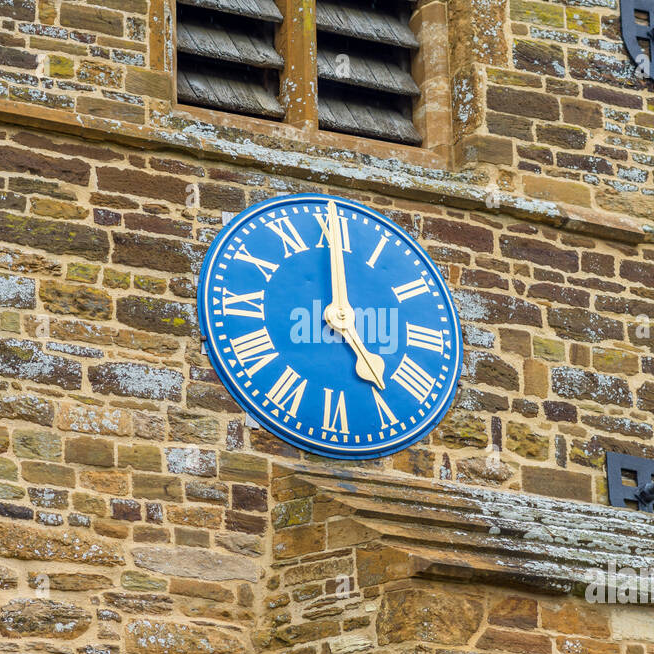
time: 5:00
